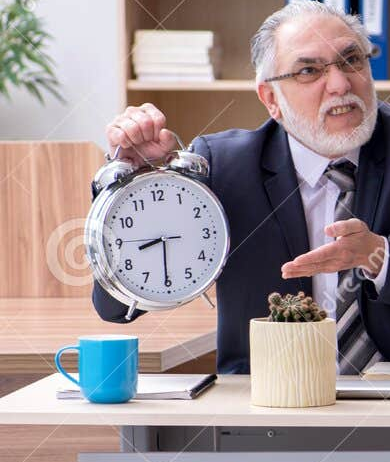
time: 8:30
